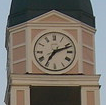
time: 7:11
